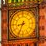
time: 8:34
